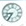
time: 8:35
